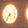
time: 7:36
